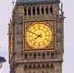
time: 7:49
